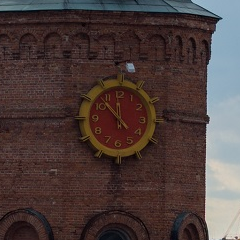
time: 11:52
